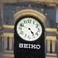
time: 4:48
